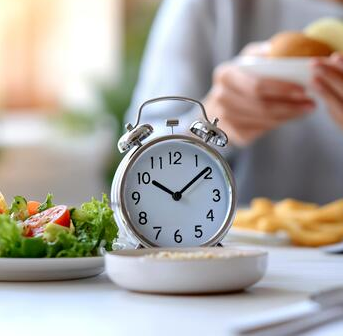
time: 10:08
